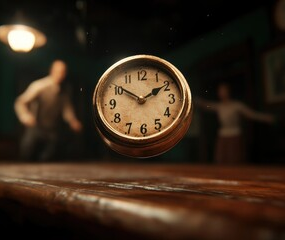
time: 1:50
